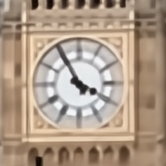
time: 3:54
